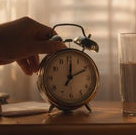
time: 12:10
